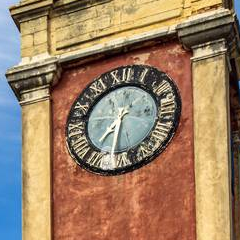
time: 7:31
